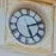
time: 5:11
